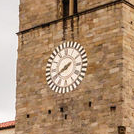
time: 7:39
